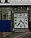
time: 4:35
